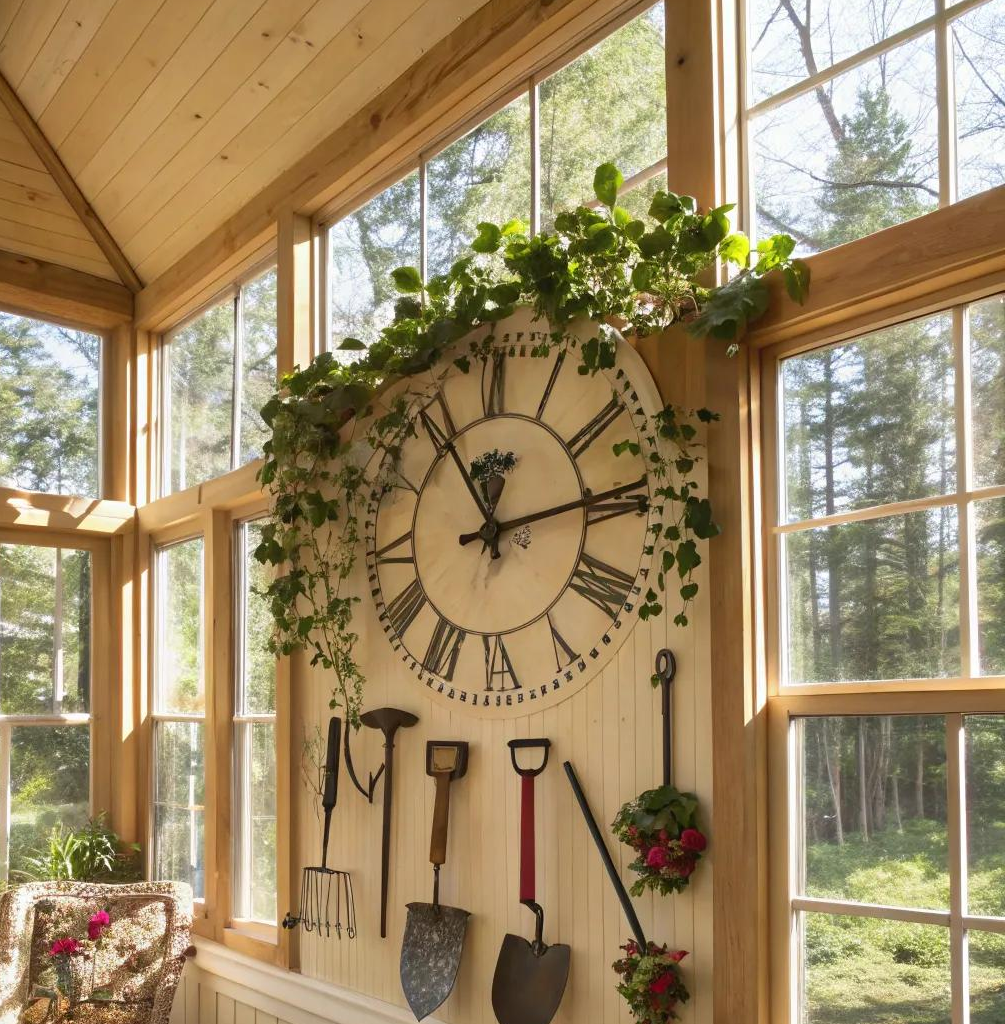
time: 11:13
